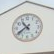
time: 10:39
